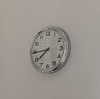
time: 7:44
